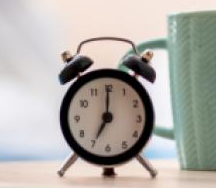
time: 7:00
